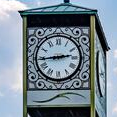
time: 2:44
